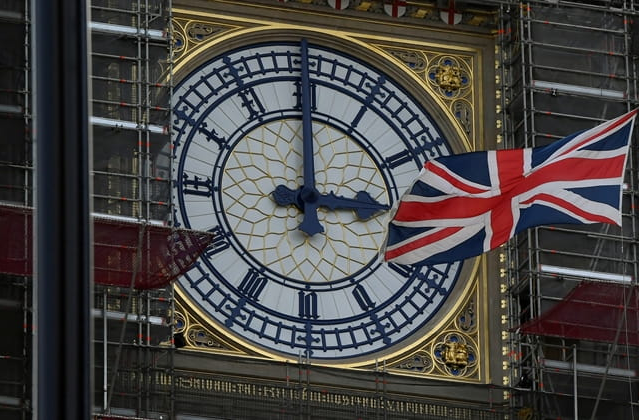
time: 3:00
